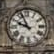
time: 9:56
